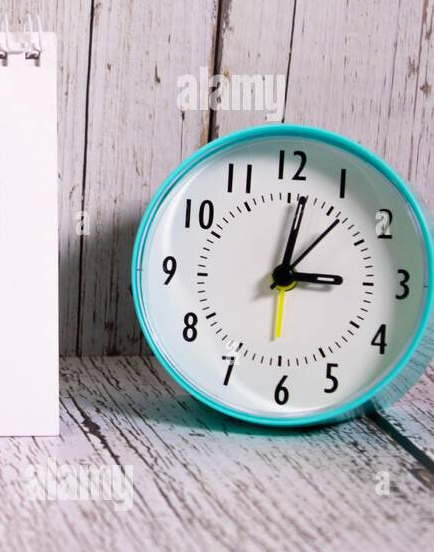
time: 3:01
